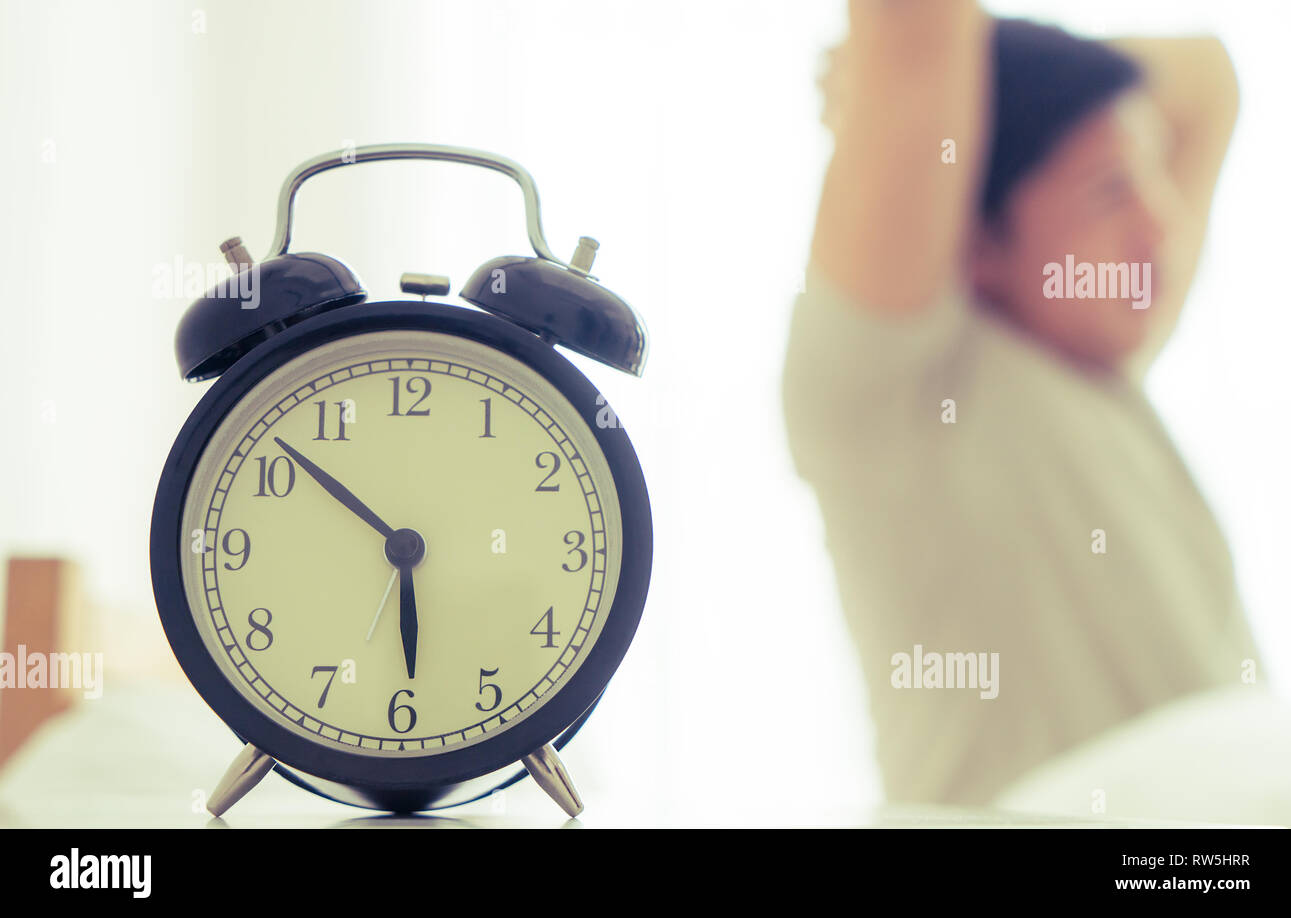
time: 5:51
